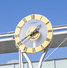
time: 1:40
